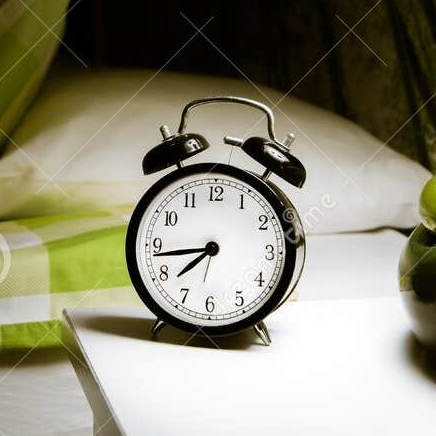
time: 7:43
